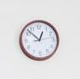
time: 12:52
